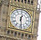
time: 12:28
